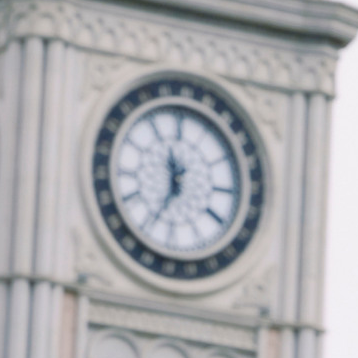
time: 11:34
